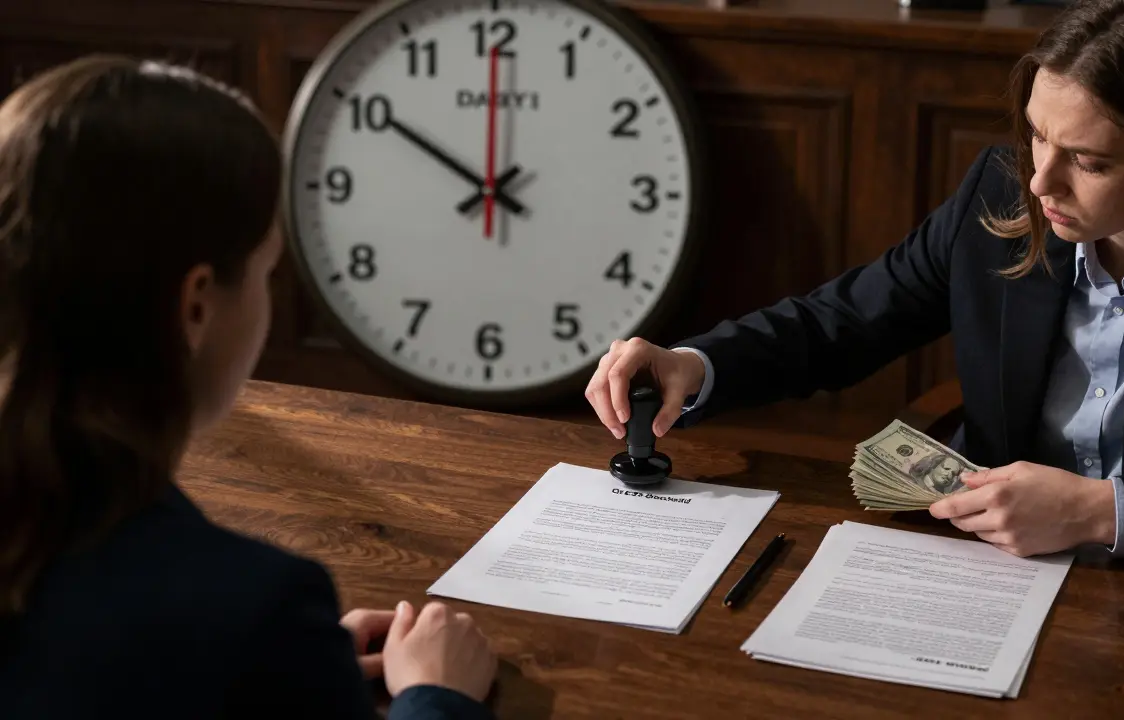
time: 10:00
